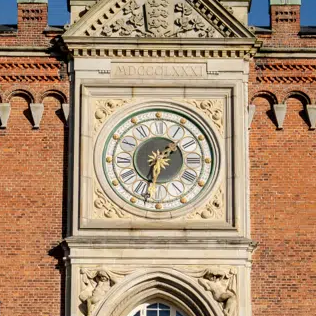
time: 1:32
